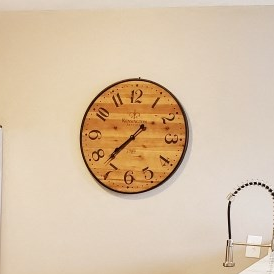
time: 7:37
